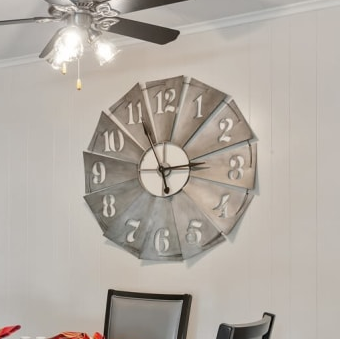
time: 2:56
